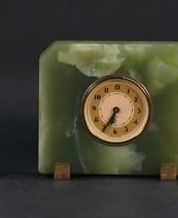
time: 6:34
